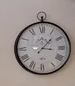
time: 3:07
